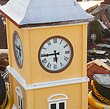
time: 5:44
